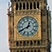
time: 12:40
